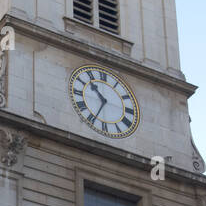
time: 10:34
